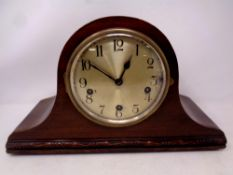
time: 12:50
